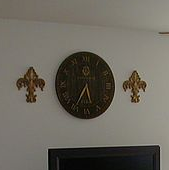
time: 5:34
